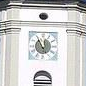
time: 11:54
